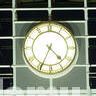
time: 4:34
